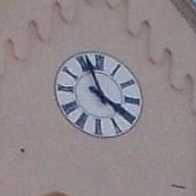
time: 3:56
